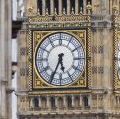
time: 5:34
